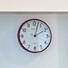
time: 2:02
